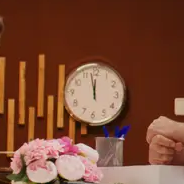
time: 11:57
